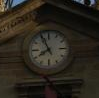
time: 7:55
